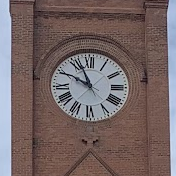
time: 9:56
